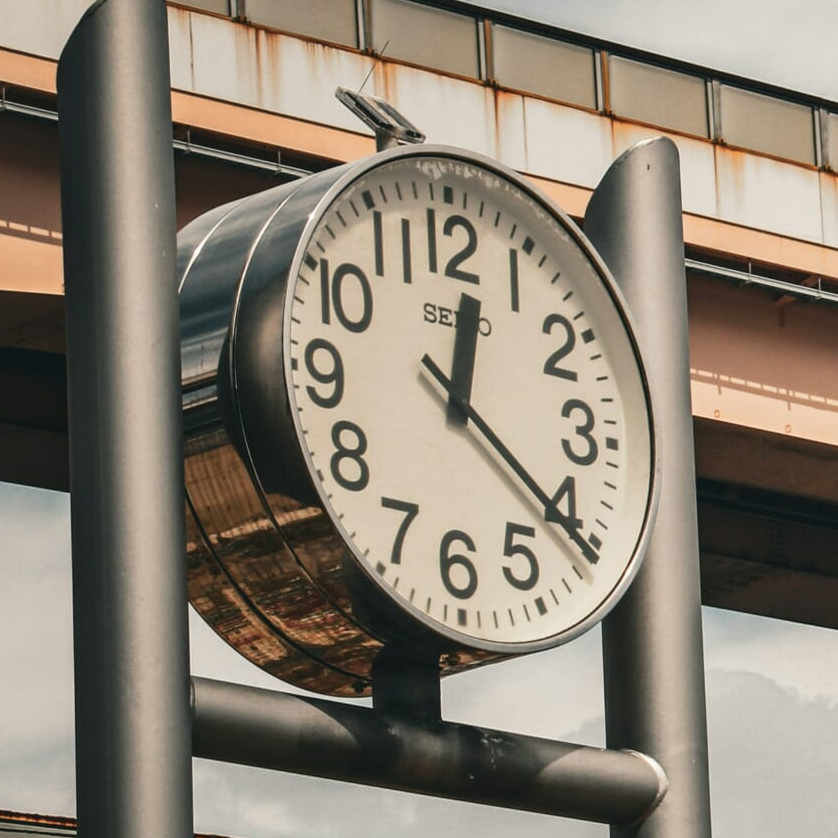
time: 12:20
